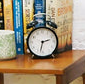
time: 2:32
